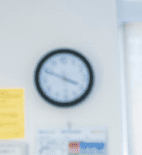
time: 3:49
